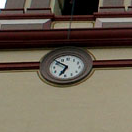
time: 6:52
